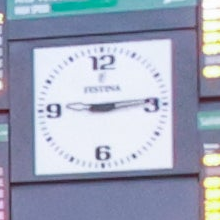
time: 9:14
